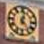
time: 12:23
